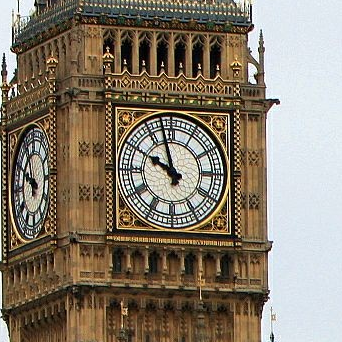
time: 9:57
